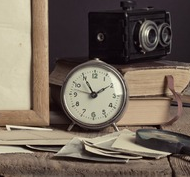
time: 1:54
